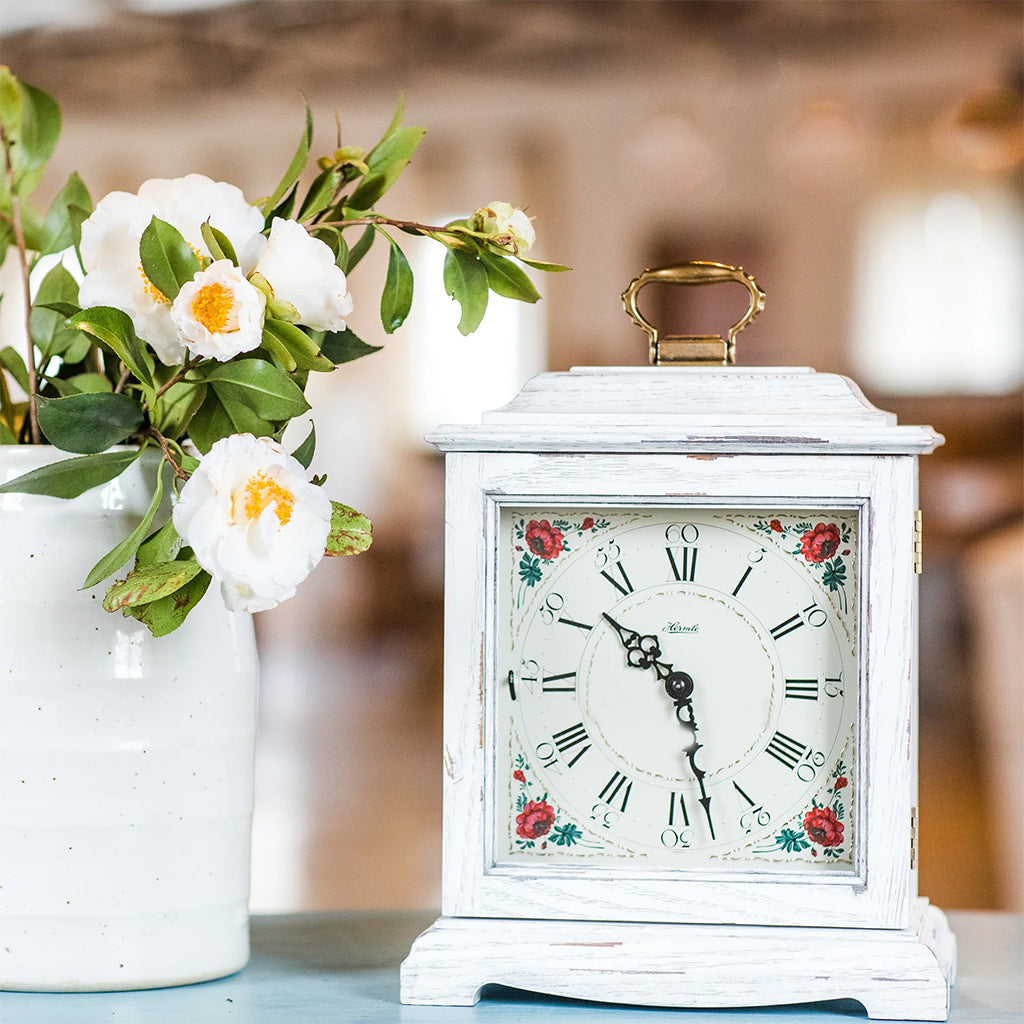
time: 10:28
